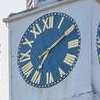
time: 7:09
